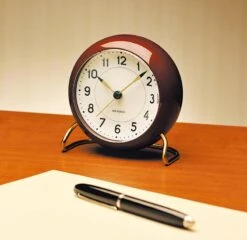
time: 10:07
